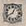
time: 8:04
